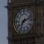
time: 7:12
